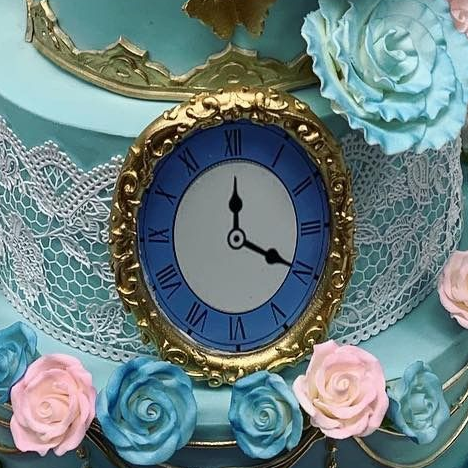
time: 12:19
